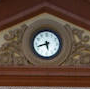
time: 5:42
